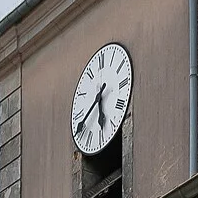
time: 5:40
